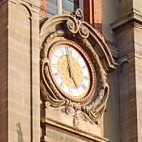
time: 4:59
